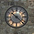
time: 10:22
